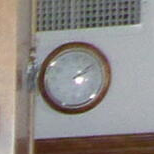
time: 2:09
